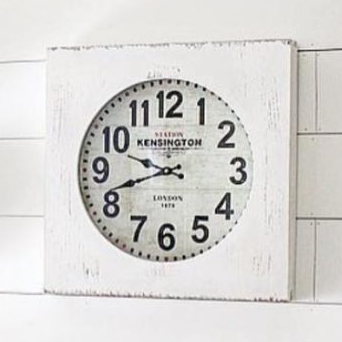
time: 9:42
